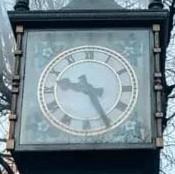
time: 9:25
